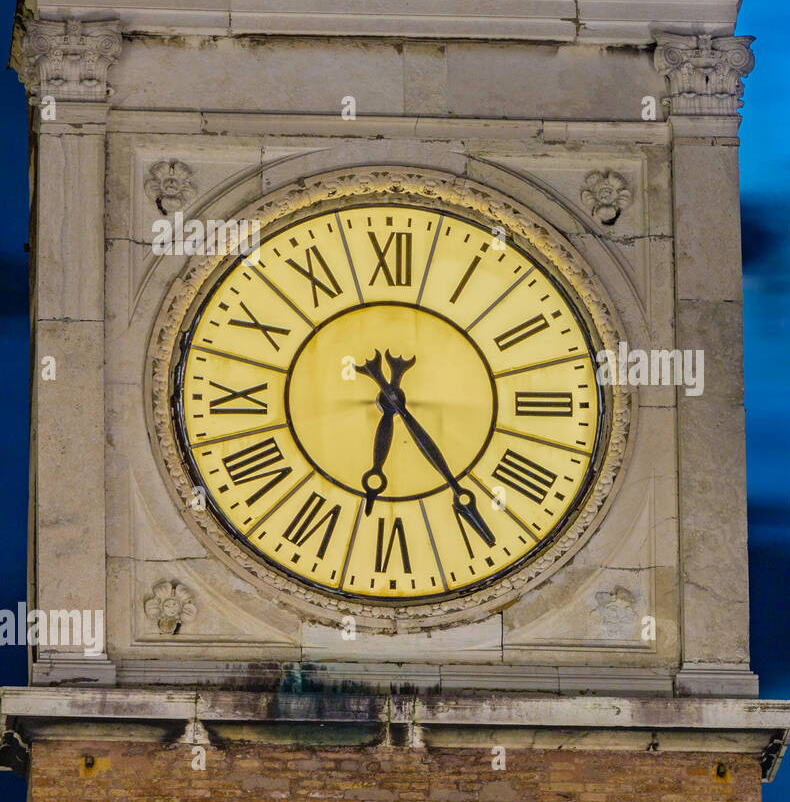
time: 6:24
